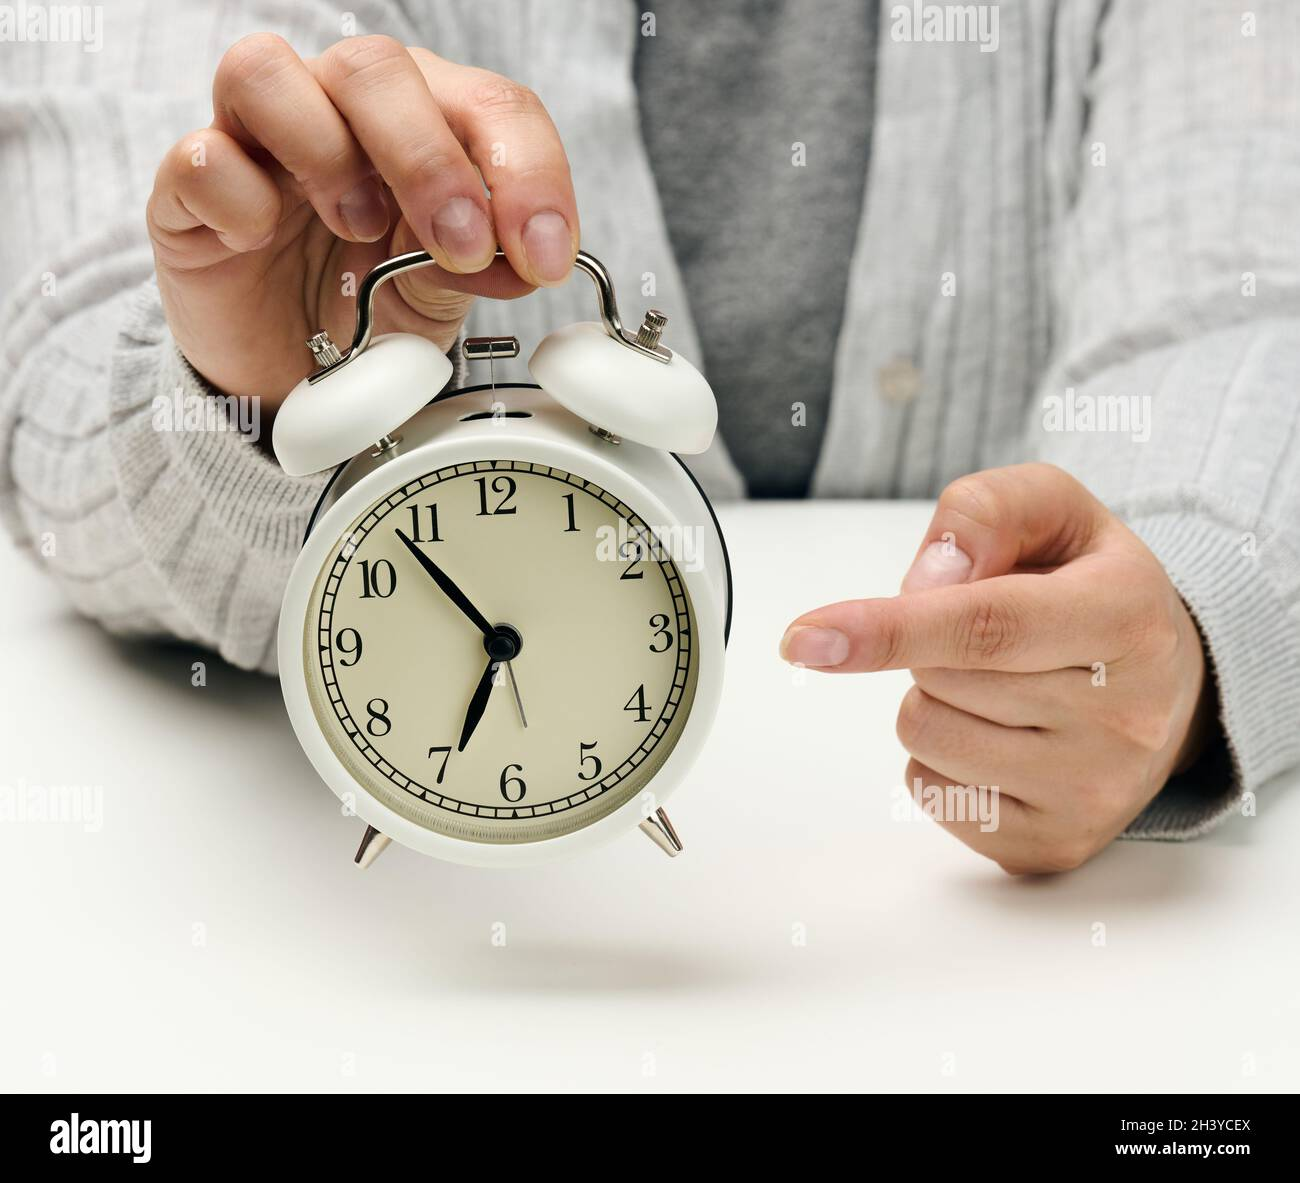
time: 6:53
